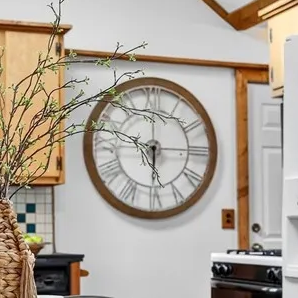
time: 5:49
